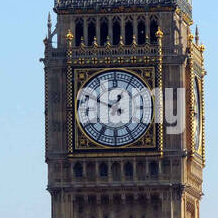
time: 12:49
